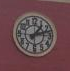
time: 1:12
